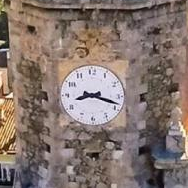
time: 8:18
